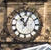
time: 11:04
